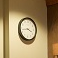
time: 3:43
